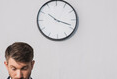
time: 10:18
